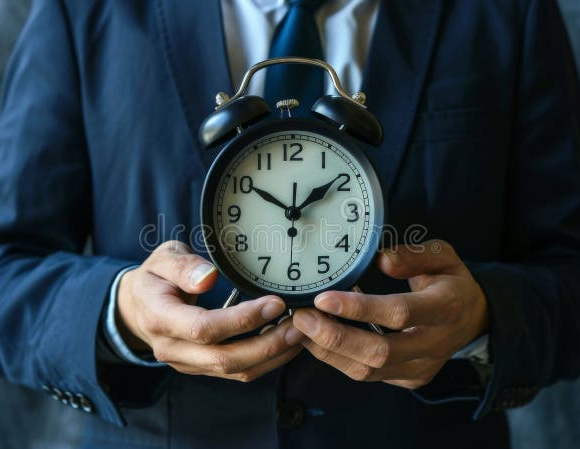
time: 1:50
